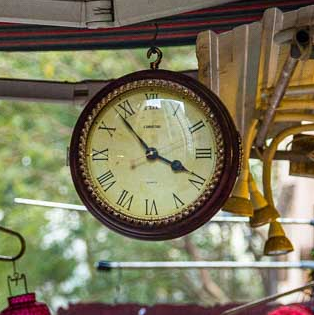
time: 3:53
